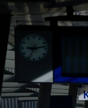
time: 9:13
